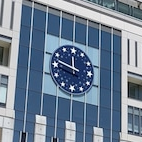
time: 11:48
